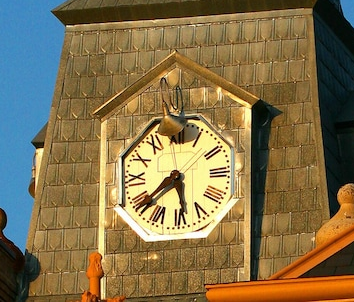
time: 5:38
